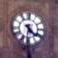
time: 4:31
